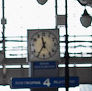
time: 11:35
